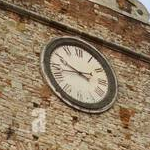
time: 9:42
